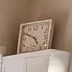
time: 4:50
